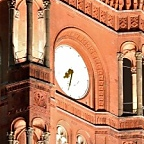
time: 7:32
